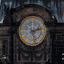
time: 2:27
